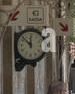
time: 11:52
